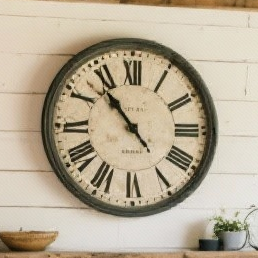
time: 10:53
